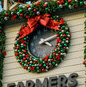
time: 2:12
